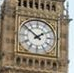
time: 1:51
